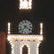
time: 7:21
